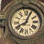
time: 8:04
